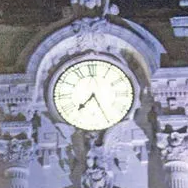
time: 7:25
